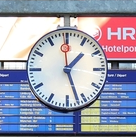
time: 1:27
